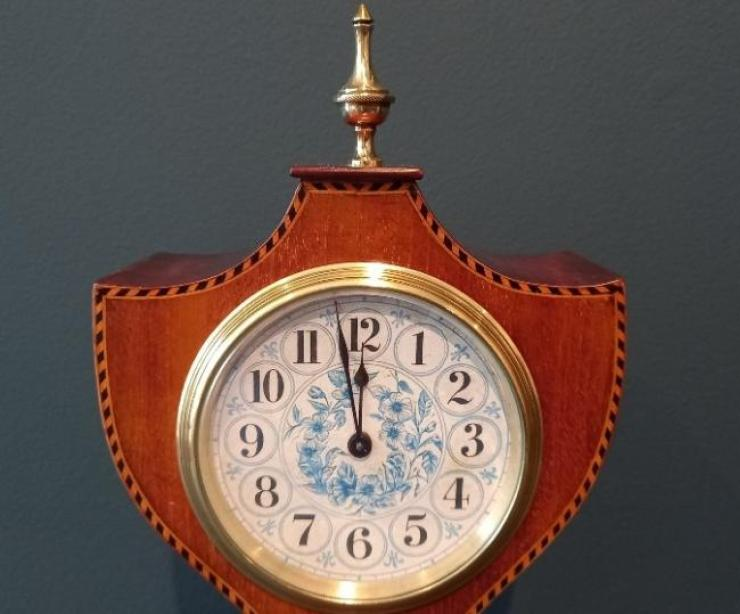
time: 11:58
